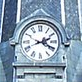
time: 2:19
